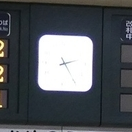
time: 2:24
